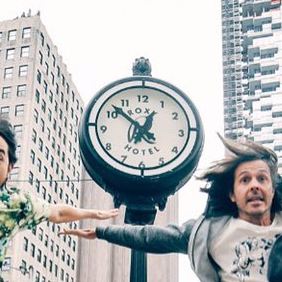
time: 12:52
